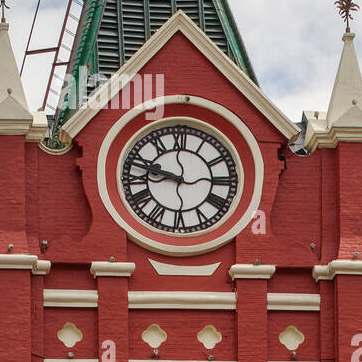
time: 9:47
